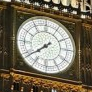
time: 7:38
